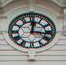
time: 12:16
